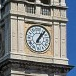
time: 1:06
